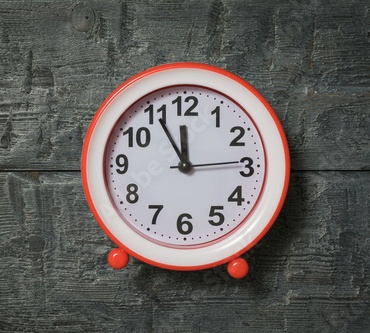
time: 11:55
